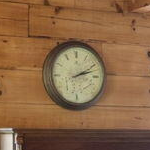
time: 2:12
